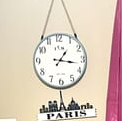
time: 1:16
